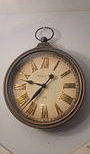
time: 9:37
